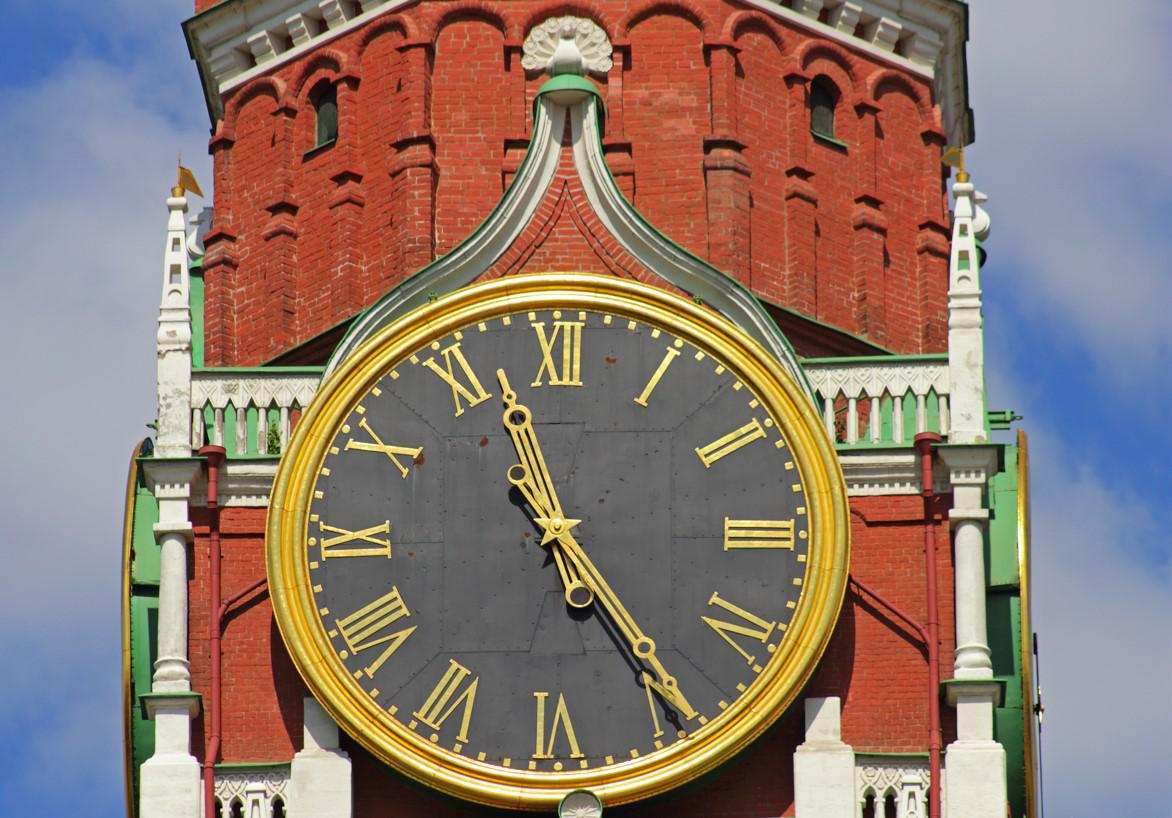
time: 11:24
